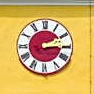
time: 2:14
